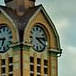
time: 4:13
